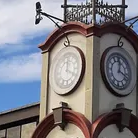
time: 12:19
